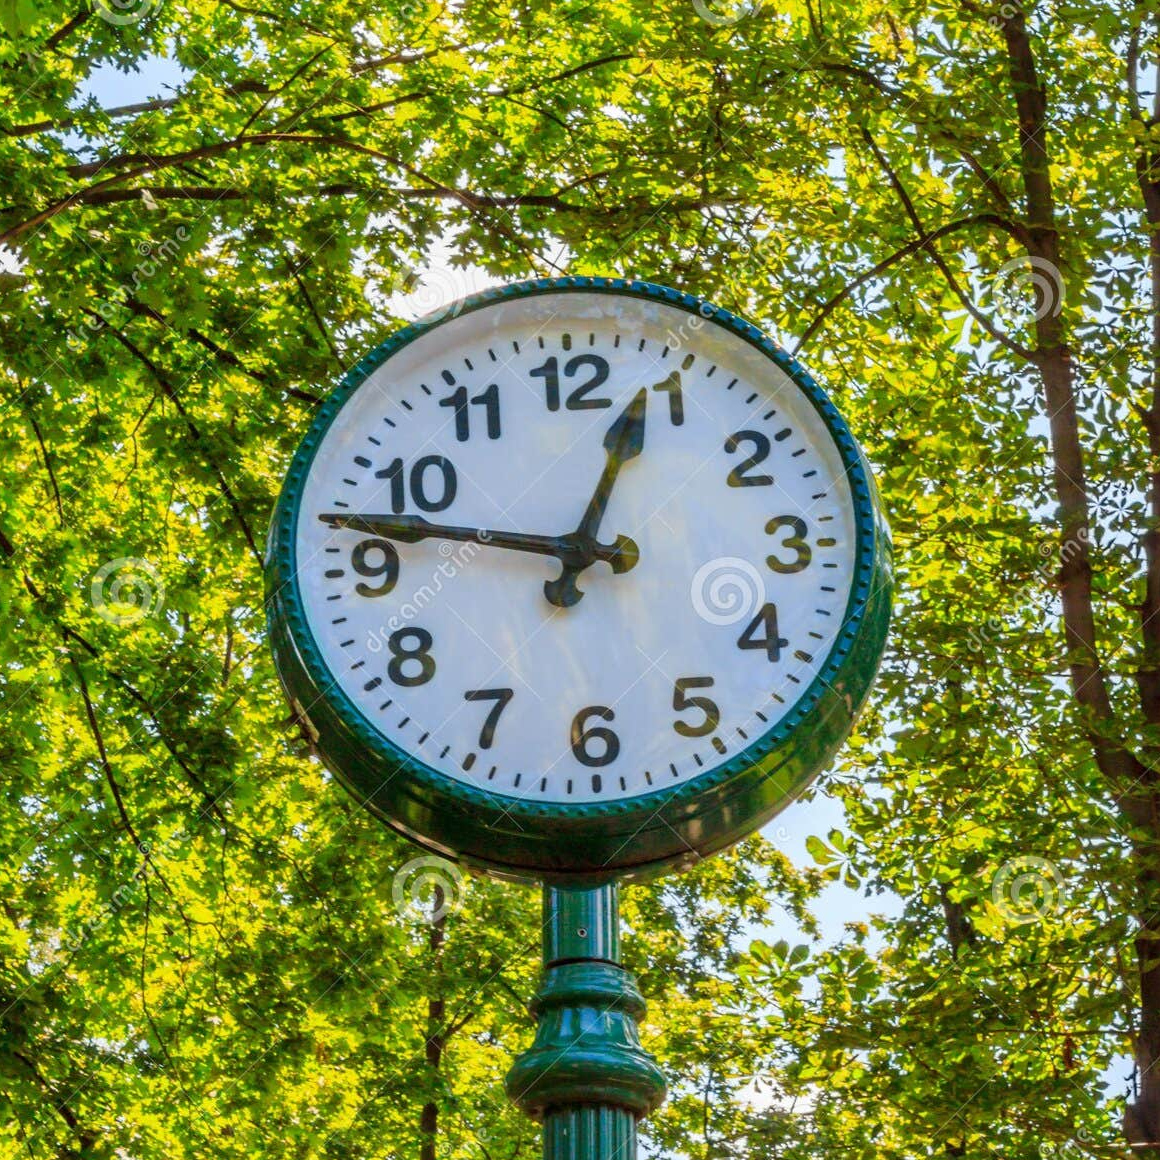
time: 12:47
